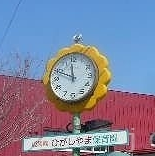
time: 11:49
